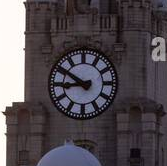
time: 8:50
